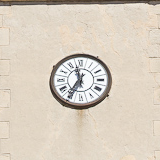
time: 11:35
